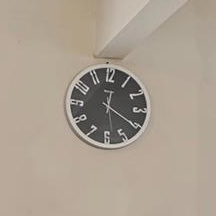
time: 12:20
